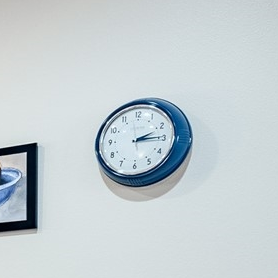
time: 2:14
